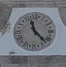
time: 11:22
